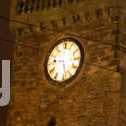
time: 9:27
